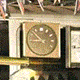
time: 8:52
